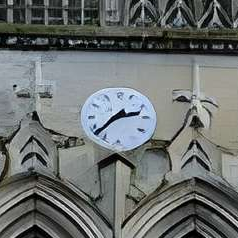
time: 2:37
